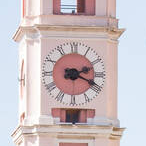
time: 2:18
